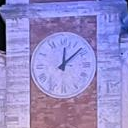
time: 12:08
